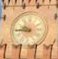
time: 9:44
